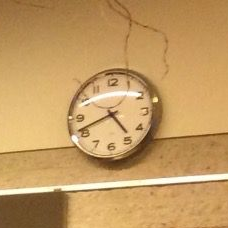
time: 4:41
